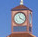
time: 11:21
